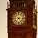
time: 7:15
